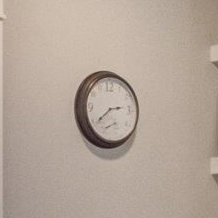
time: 2:39
